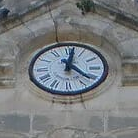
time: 12:21
